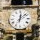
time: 12:07
